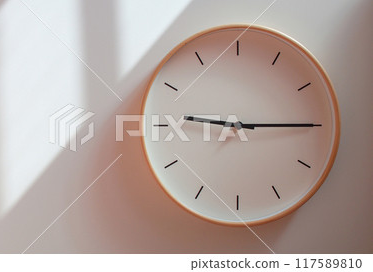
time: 9:14
